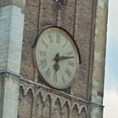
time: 6:12
